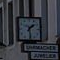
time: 1:28
